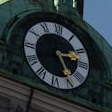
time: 2:24
